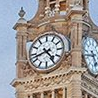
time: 4:42
